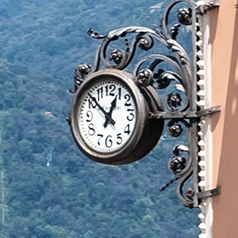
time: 12:52
